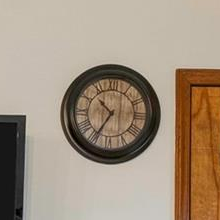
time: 10:34
